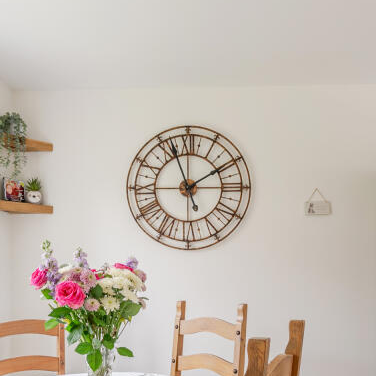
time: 1:56
